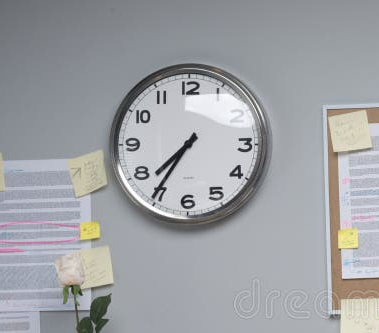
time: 7:35
